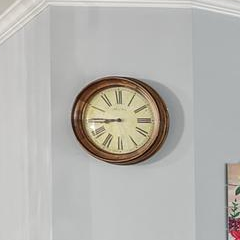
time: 8:45
